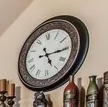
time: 5:14
